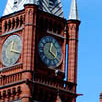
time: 12:20
